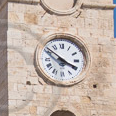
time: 3:51
